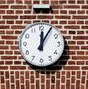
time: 12:04
